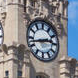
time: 2:42
